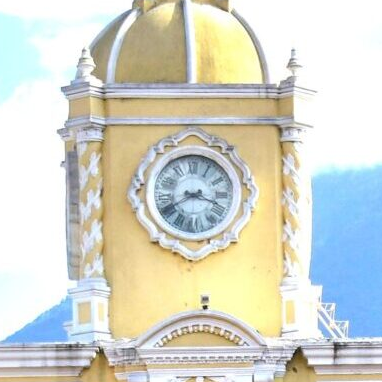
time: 3:40
